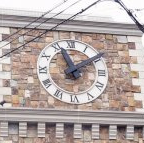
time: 11:09
